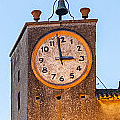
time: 2:58
